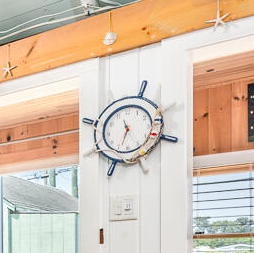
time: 11:33
